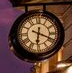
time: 6:18
